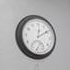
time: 12:09
